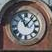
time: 11:07
